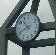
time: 10:41
